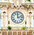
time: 12:12
